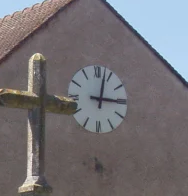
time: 3:02
